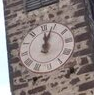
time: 12:03
